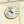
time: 9:56
